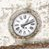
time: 1:11
